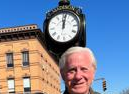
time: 12:02
